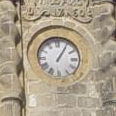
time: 1:05
